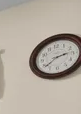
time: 2:38
